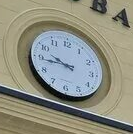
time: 9:44
